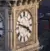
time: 3:47
